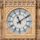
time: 11:09
